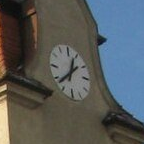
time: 12:37
